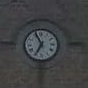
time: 6:55
